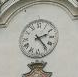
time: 2:23
